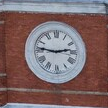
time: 2:46
